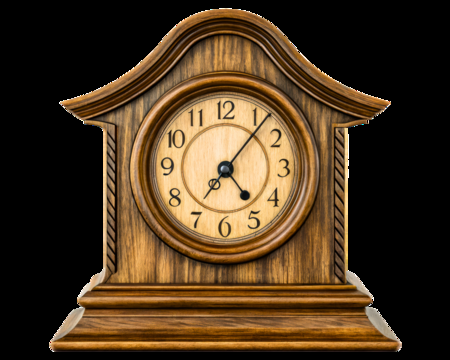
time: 7:06
